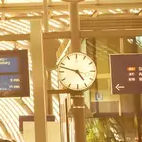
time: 4:48
